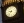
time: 9:37
